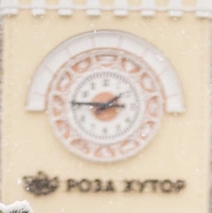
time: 1:45
